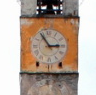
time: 2:54
